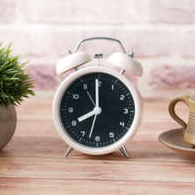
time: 7:59
